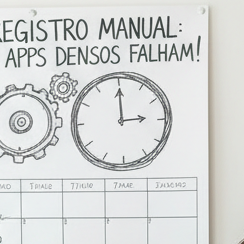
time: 2:59
